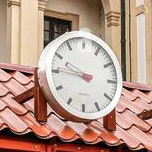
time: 9:45
